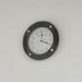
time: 12:19
